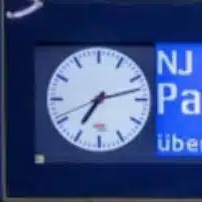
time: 7:12
